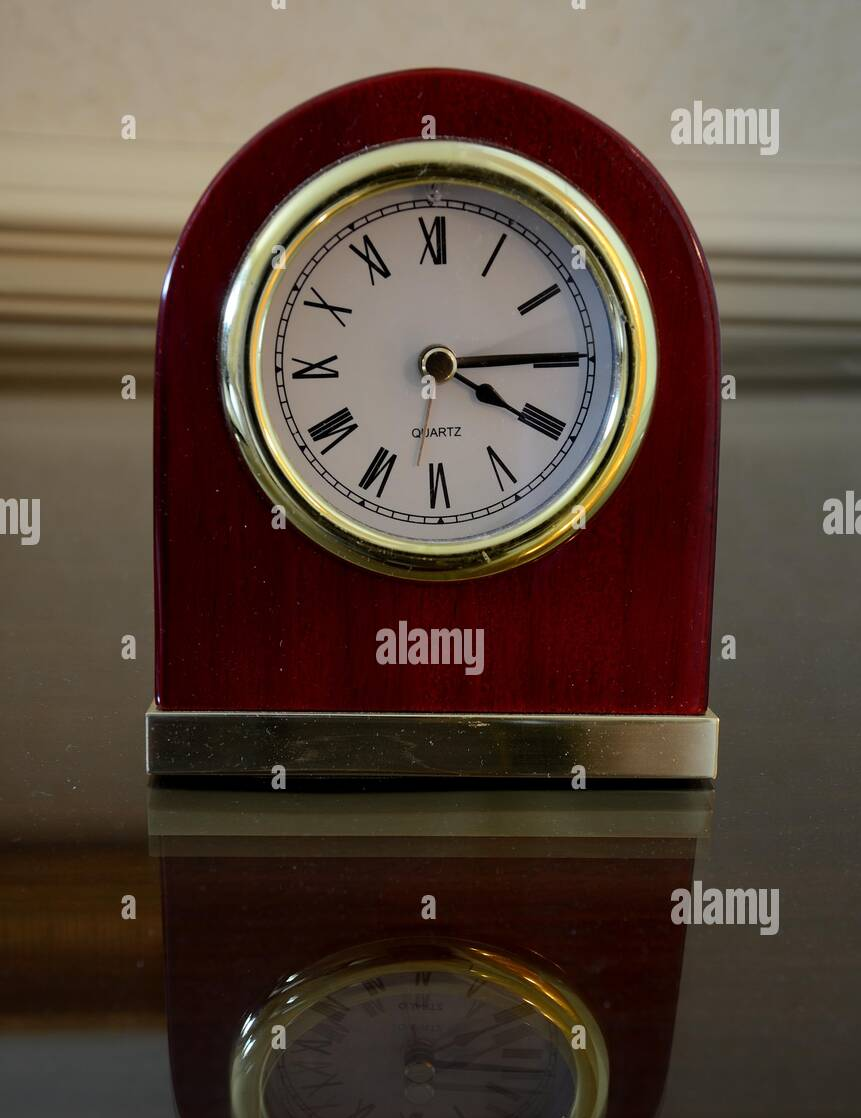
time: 4:14
